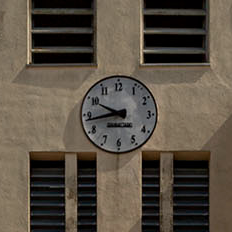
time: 9:43
